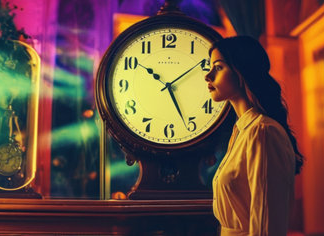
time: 10:26
